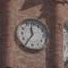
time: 11:35
